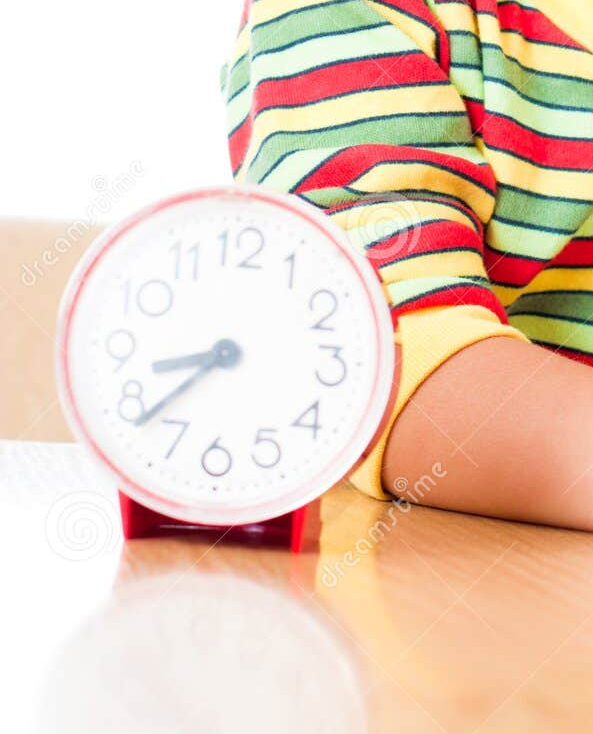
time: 8:38
